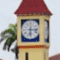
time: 6:15
